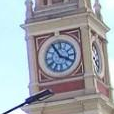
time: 3:55
